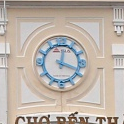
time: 12:18
